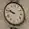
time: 9:47
